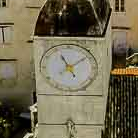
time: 11:09
